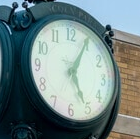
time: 5:04
